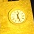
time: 12:26
